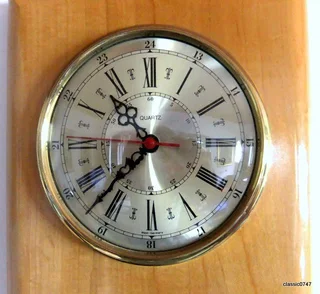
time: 10:37
